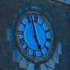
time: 4:57
